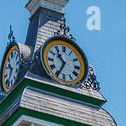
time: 10:34
